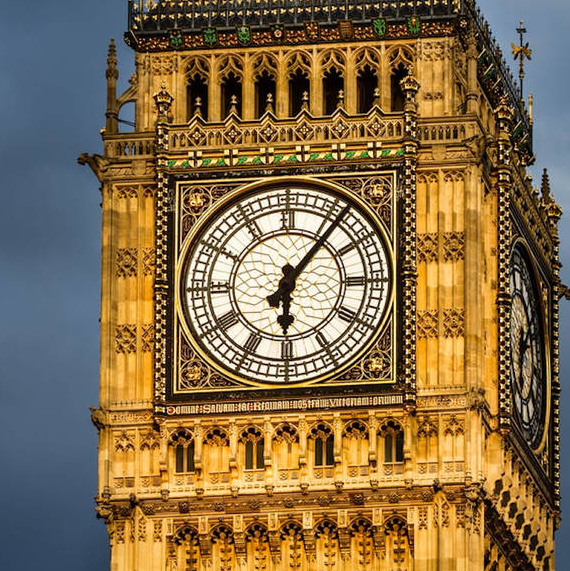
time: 6:06
